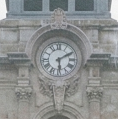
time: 6:10
